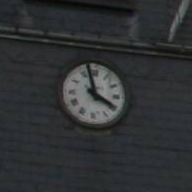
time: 3:57
